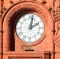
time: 2:02
